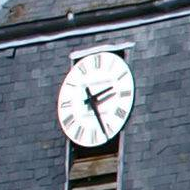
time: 2:25
